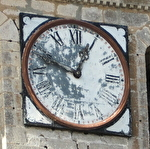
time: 12:48
